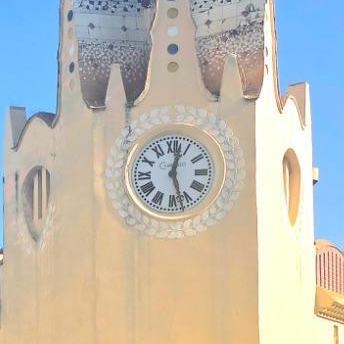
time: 12:27
